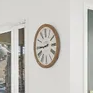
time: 8:44
